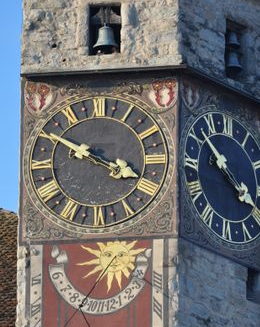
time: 3:49
